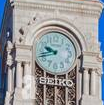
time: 9:42
